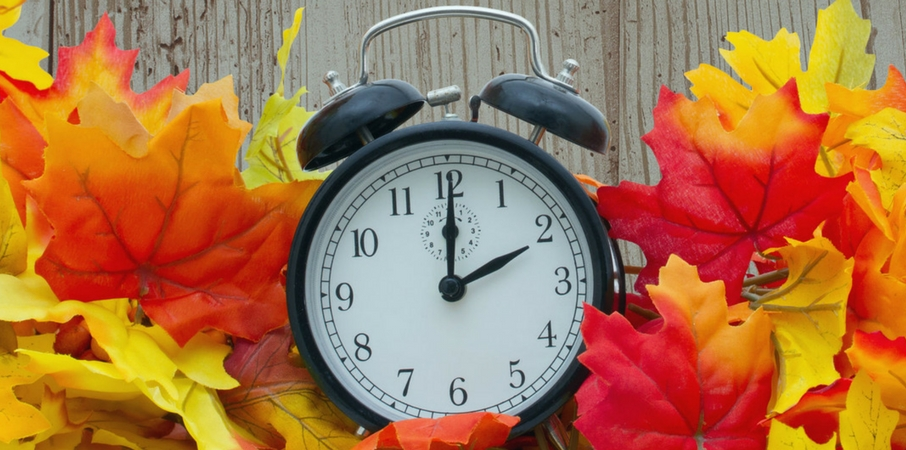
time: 2:00
